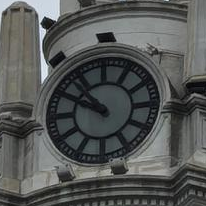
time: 9:52
